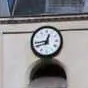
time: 12:43
